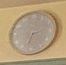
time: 2:32
